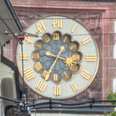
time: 3:35
